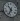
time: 10:34
